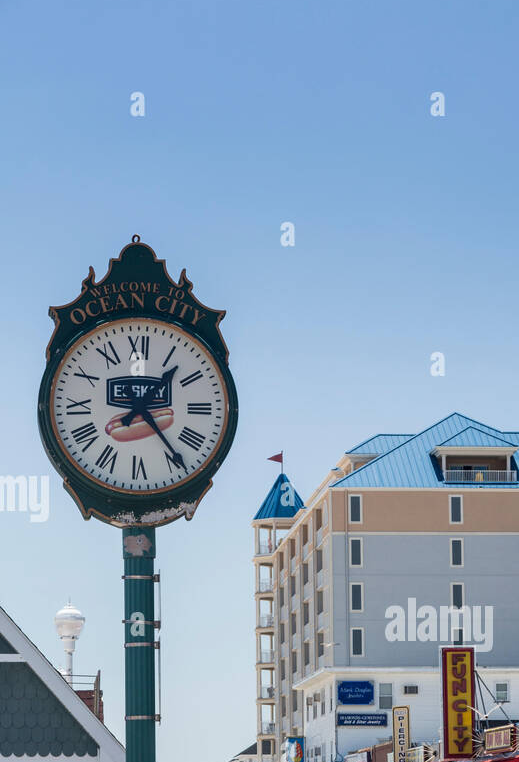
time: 1:23
